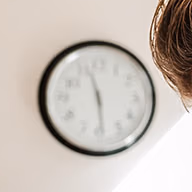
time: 11:29
